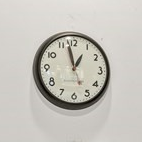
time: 12:57
